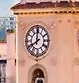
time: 7:59
